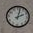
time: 2:02
